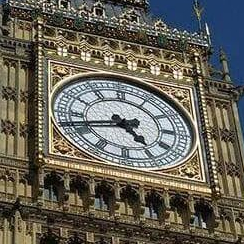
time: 4:42
